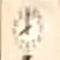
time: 7:59
